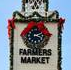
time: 2:18
